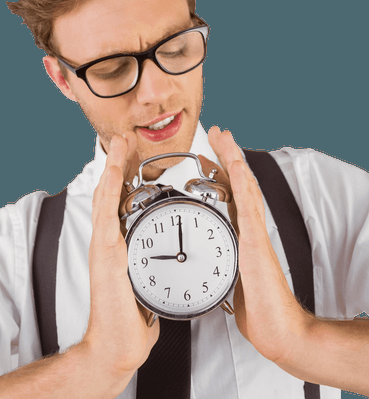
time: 9:01
